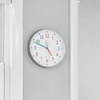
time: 4:48
